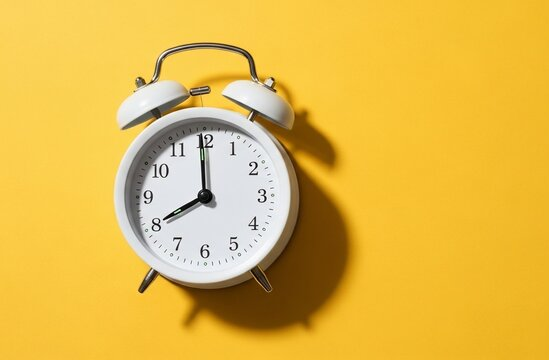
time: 7:59
